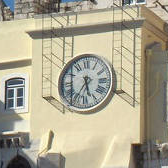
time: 5:35
